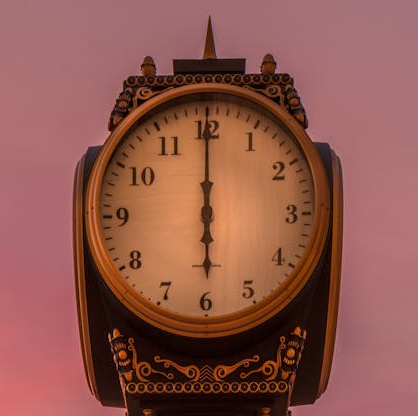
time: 6:00
